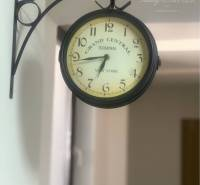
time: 6:43
